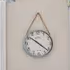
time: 10:21
